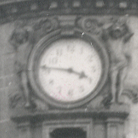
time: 3:46
